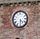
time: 4:29
